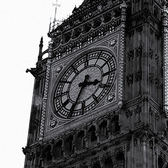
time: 3:34
